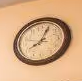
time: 8:03
